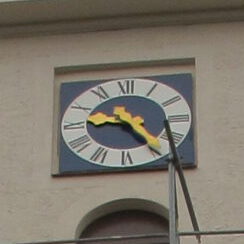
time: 9:23
